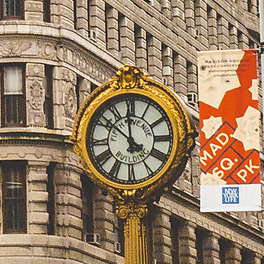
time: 11:51
